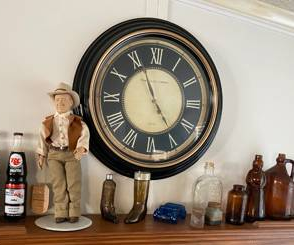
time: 4:56
